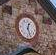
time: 12:26
